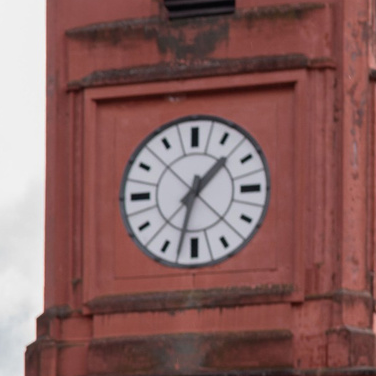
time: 1:32
